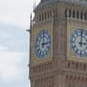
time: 12:13
